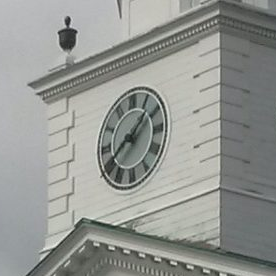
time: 1:39
